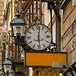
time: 6:01
